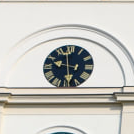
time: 9:28
